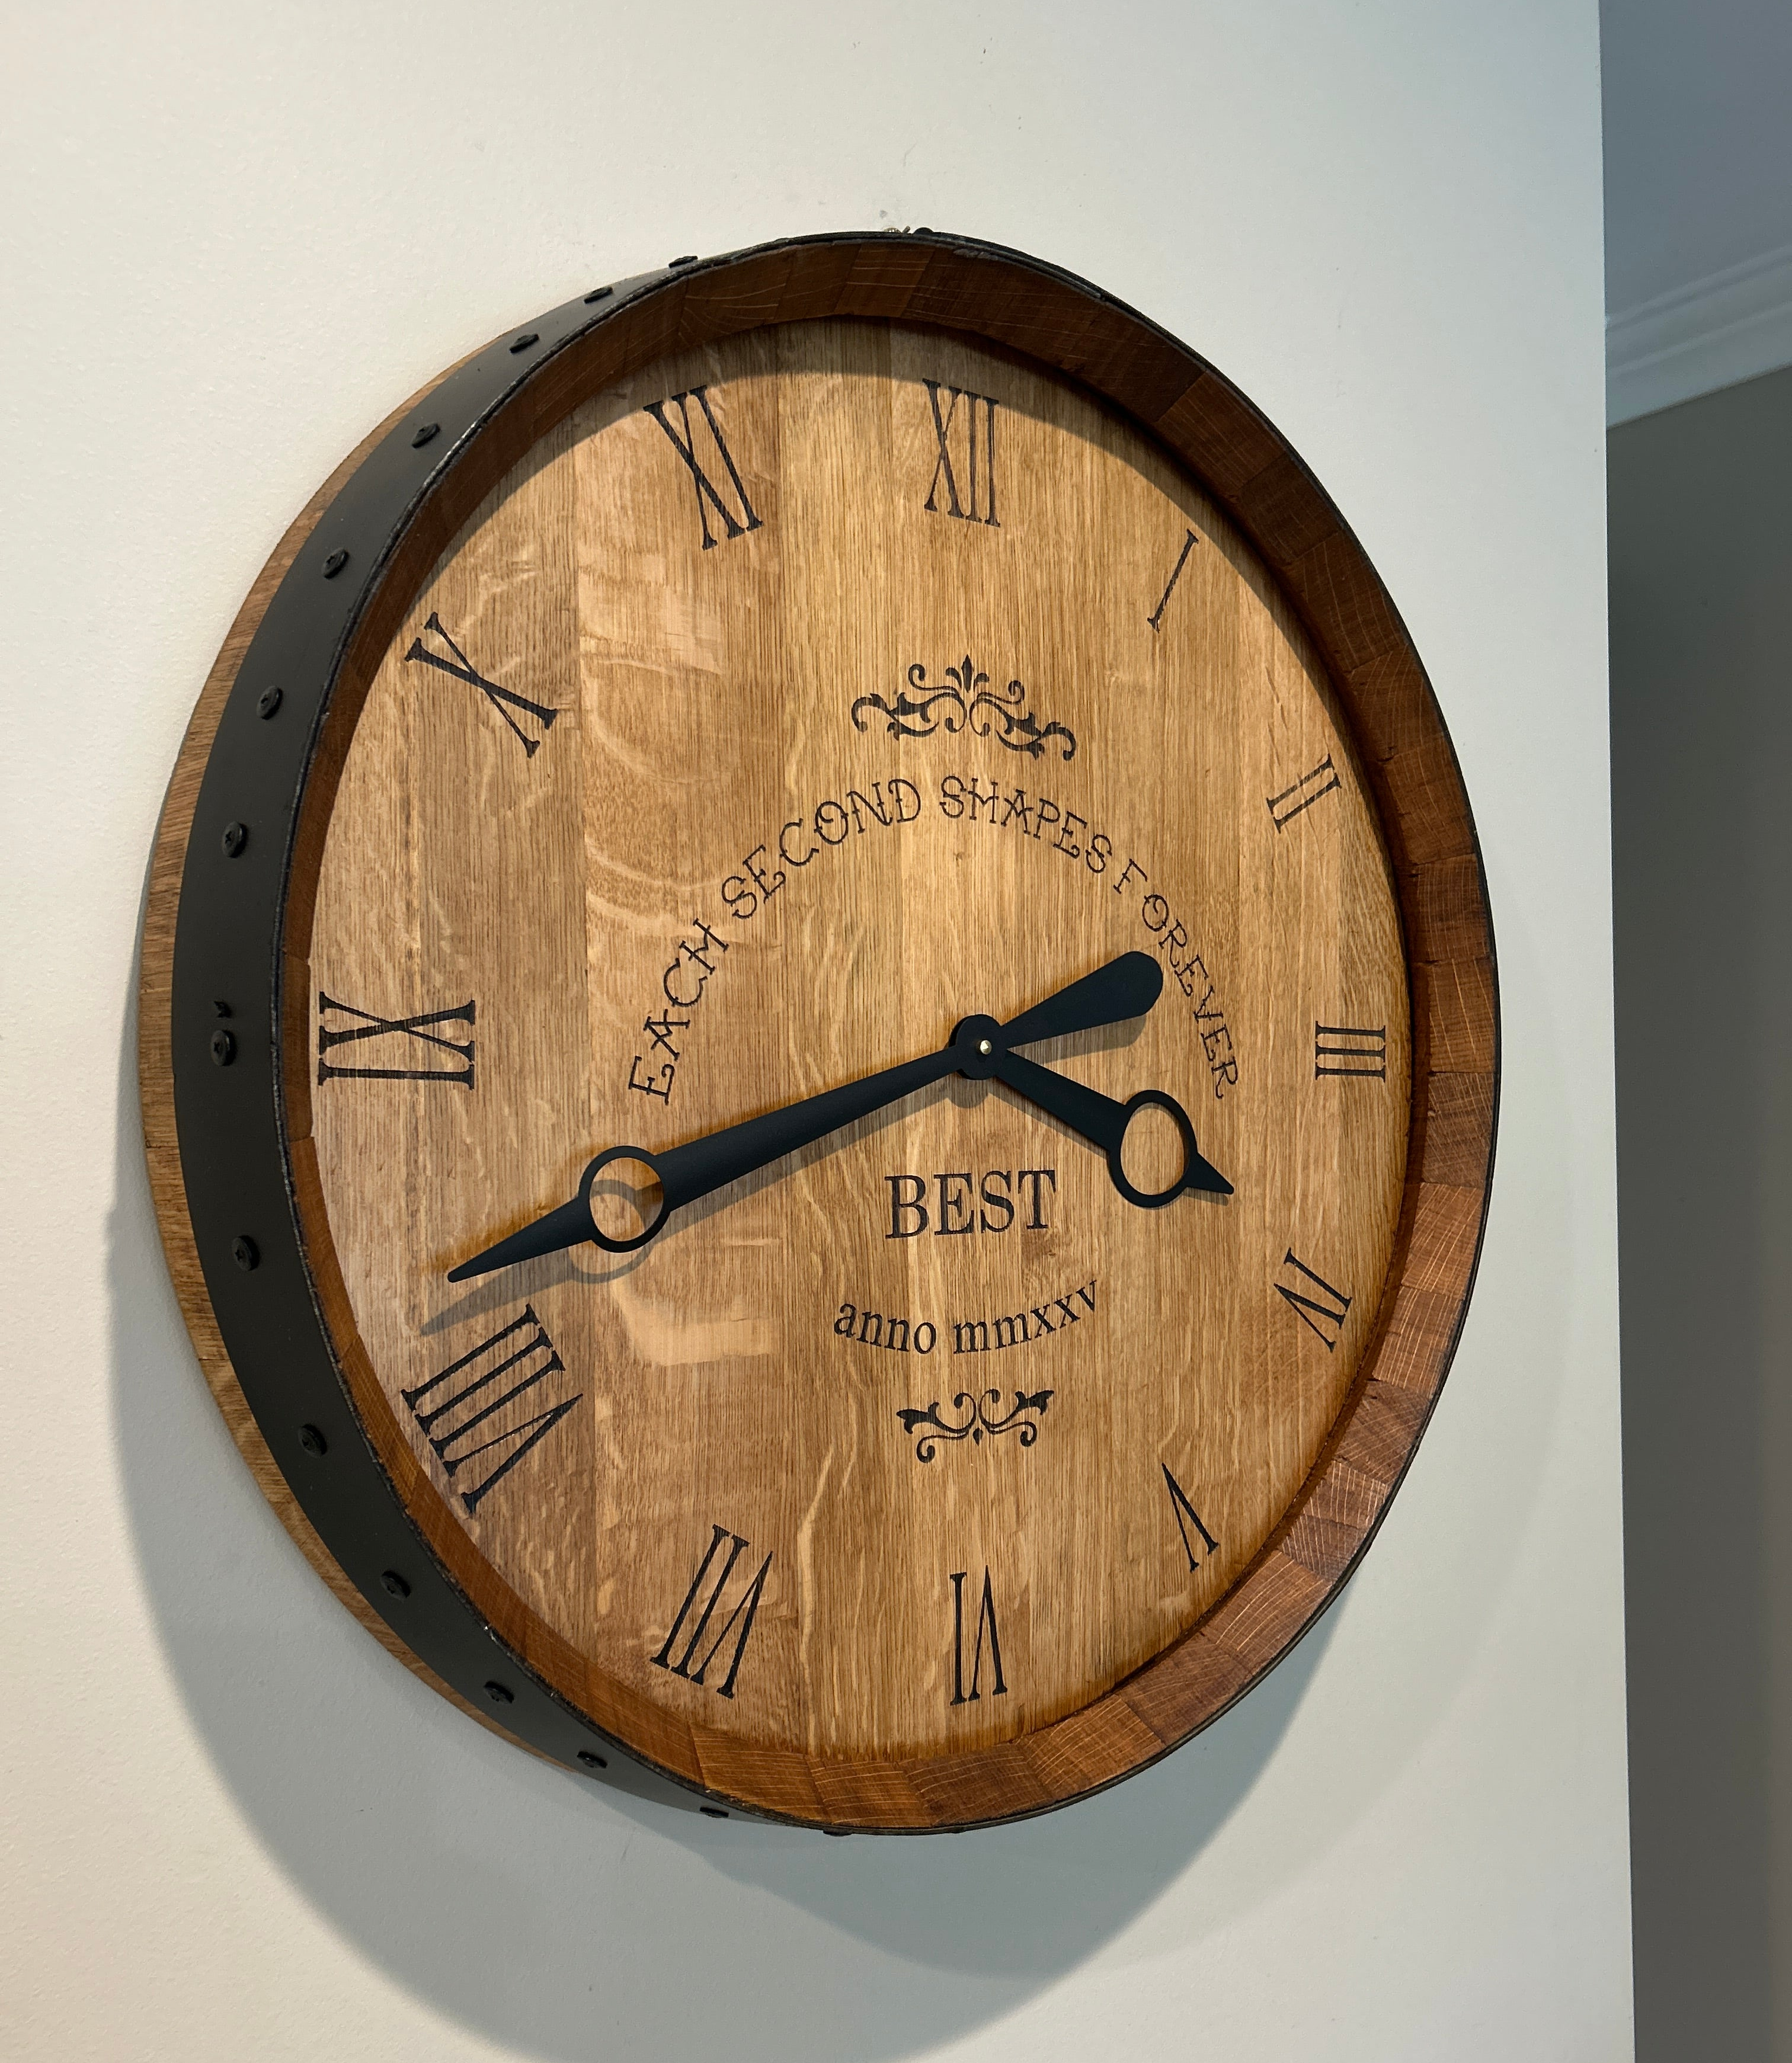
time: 3:41
